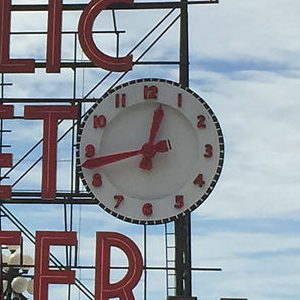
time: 12:42
